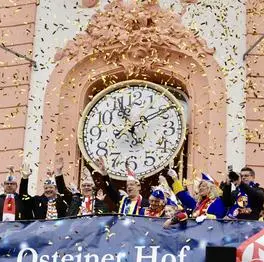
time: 11:09
